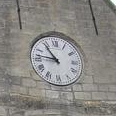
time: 10:46
